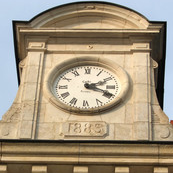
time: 2:18
